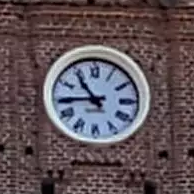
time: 10:44
